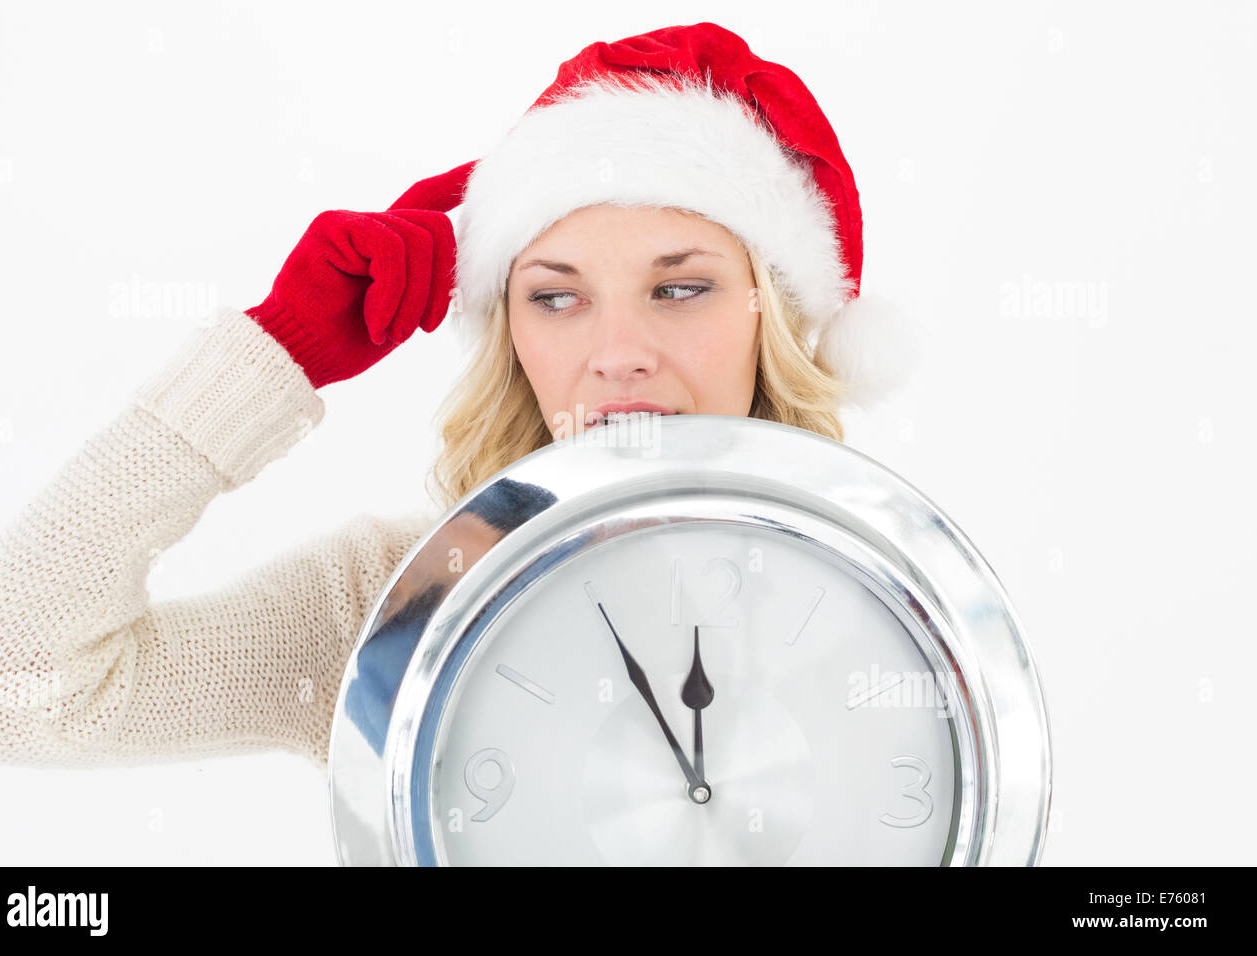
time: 11:55
